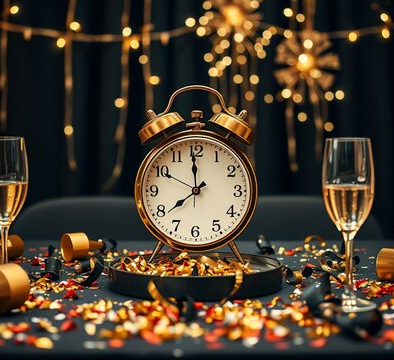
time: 7:59
